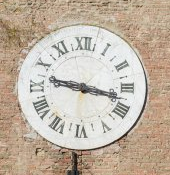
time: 9:17
